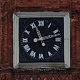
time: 11:12
